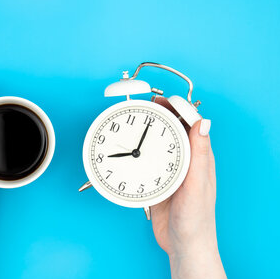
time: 8:00
